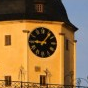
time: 9:06
